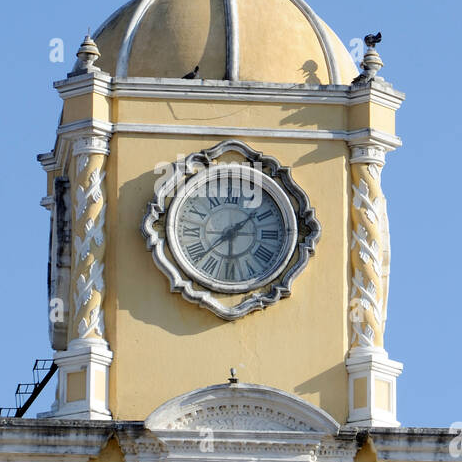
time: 6:08
